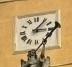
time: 3:06
